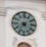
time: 8:36
